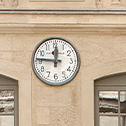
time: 11:46
